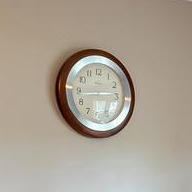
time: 2:43
